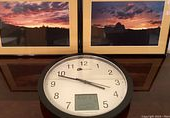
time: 3:48
